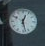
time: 12:27
